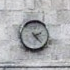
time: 2:23
